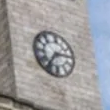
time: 2:36
